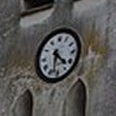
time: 4:31
